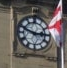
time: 2:48
